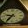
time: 9:36
